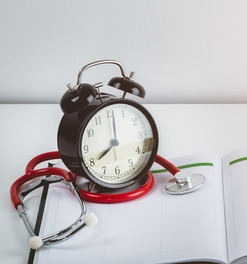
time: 8:01
